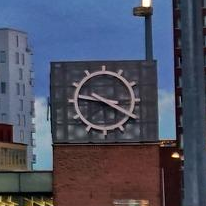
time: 9:20
